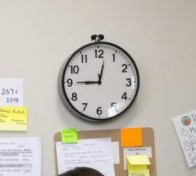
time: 9:01
